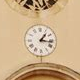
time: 1:16
